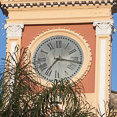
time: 7:16
